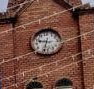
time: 9:33
